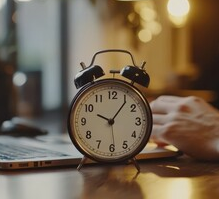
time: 10:06
